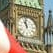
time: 10:58
